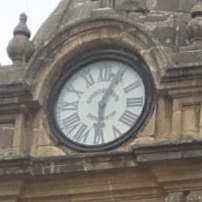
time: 6:04
